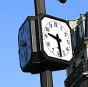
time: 9:28
